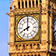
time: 7:59
